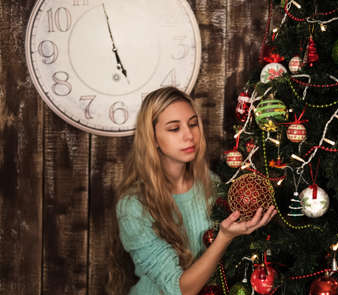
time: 4:57
